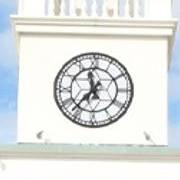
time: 11:36
